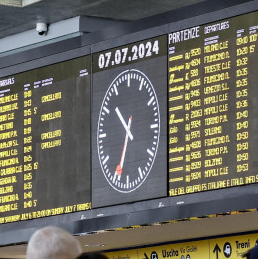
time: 10:33
